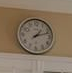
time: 1:11
